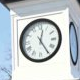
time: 12:24
